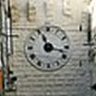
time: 11:17
